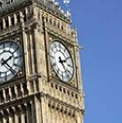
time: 2:23
